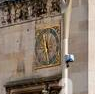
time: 12:26
